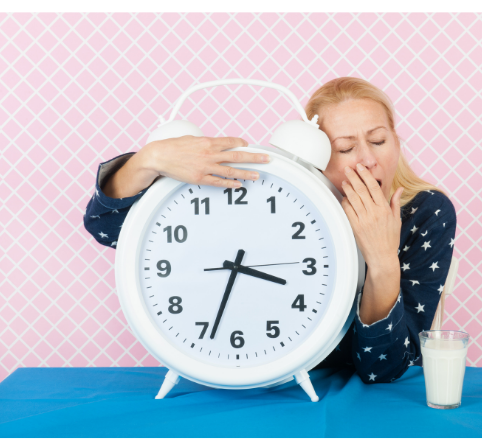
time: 3:33
